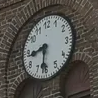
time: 8:31
